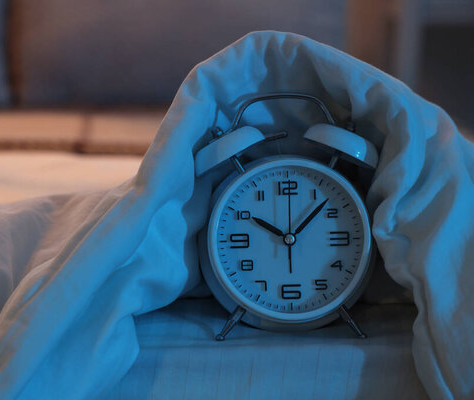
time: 10:07
